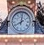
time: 8:01
